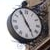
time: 4:55
